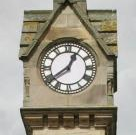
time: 12:39
